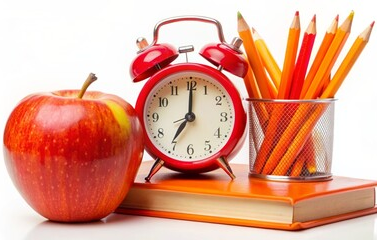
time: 7:00
